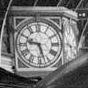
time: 9:27
